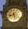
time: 8:27
